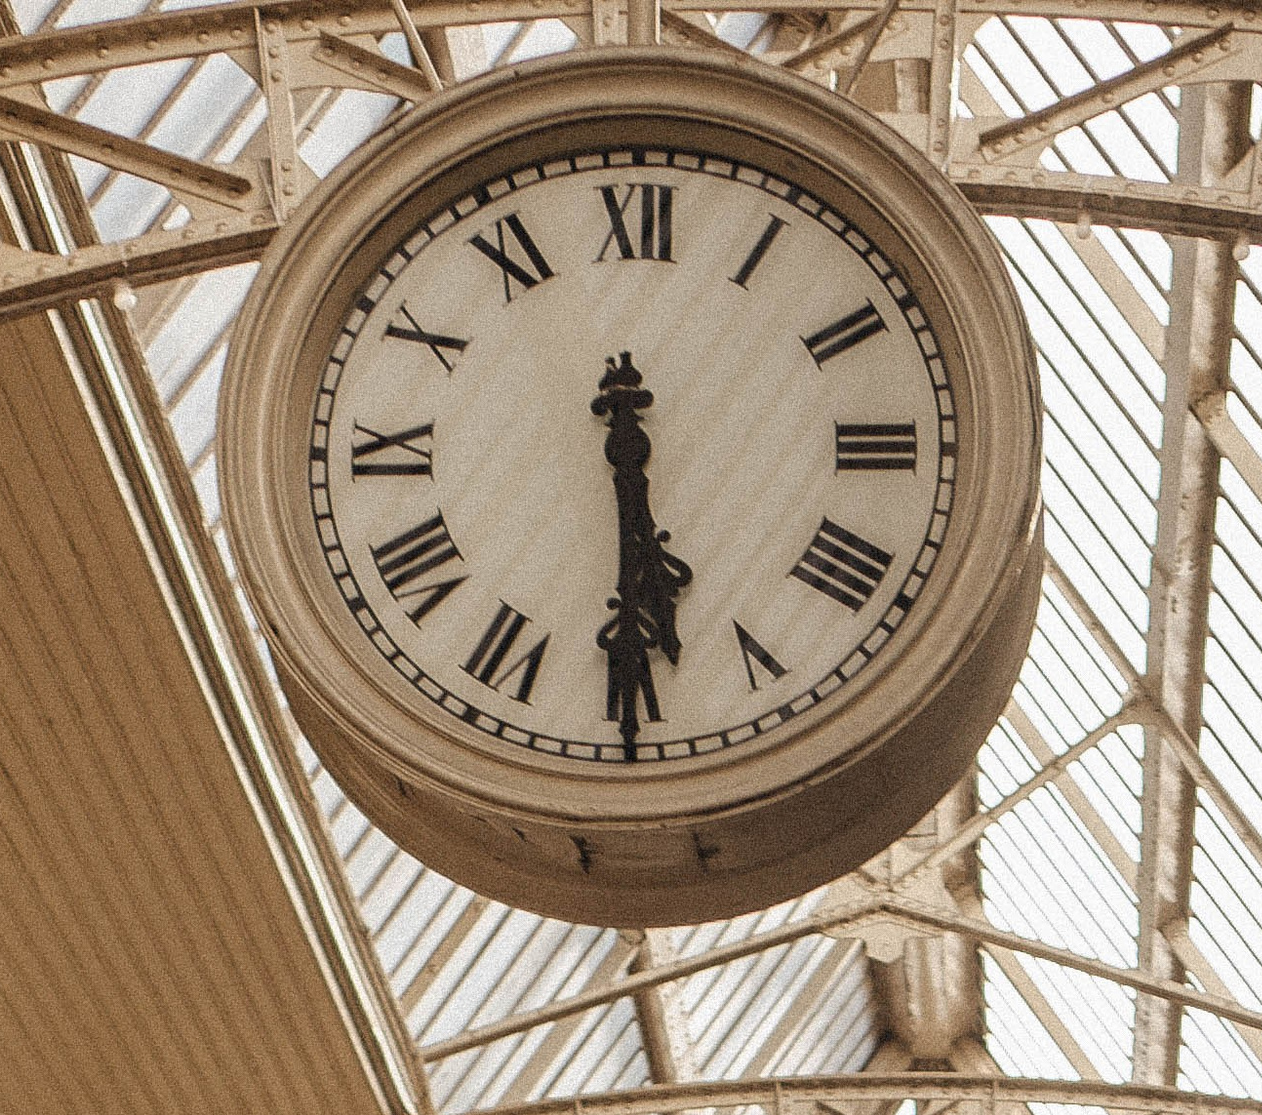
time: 5:29
